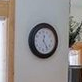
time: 12:24
